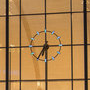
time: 7:15
